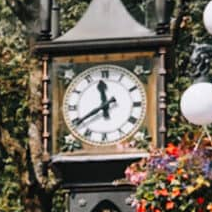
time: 11:39
